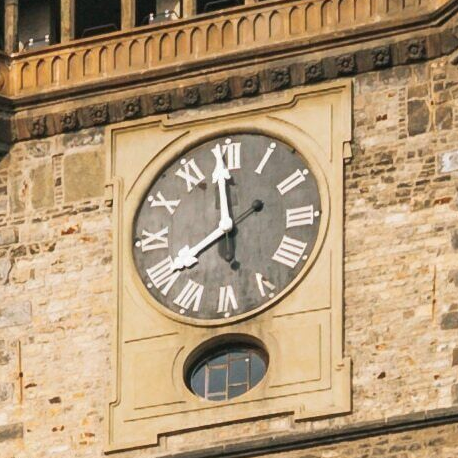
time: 7:59
